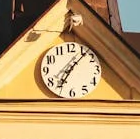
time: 7:07
